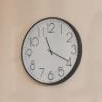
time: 11:19
